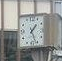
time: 1:26
